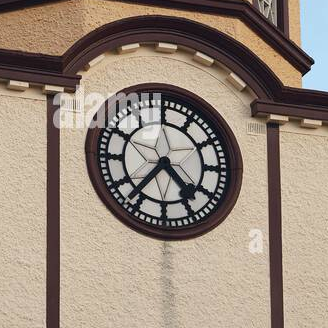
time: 4:36
